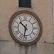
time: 10:32
